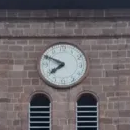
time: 7:49
